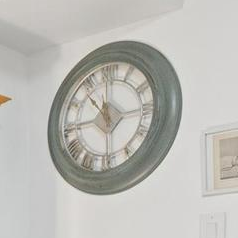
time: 10:43
